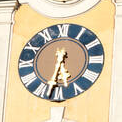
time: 5:32
